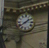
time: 1:39
